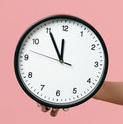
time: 11:55
